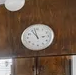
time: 10:57
